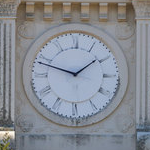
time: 1:47
